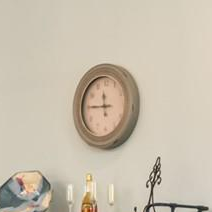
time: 11:45
